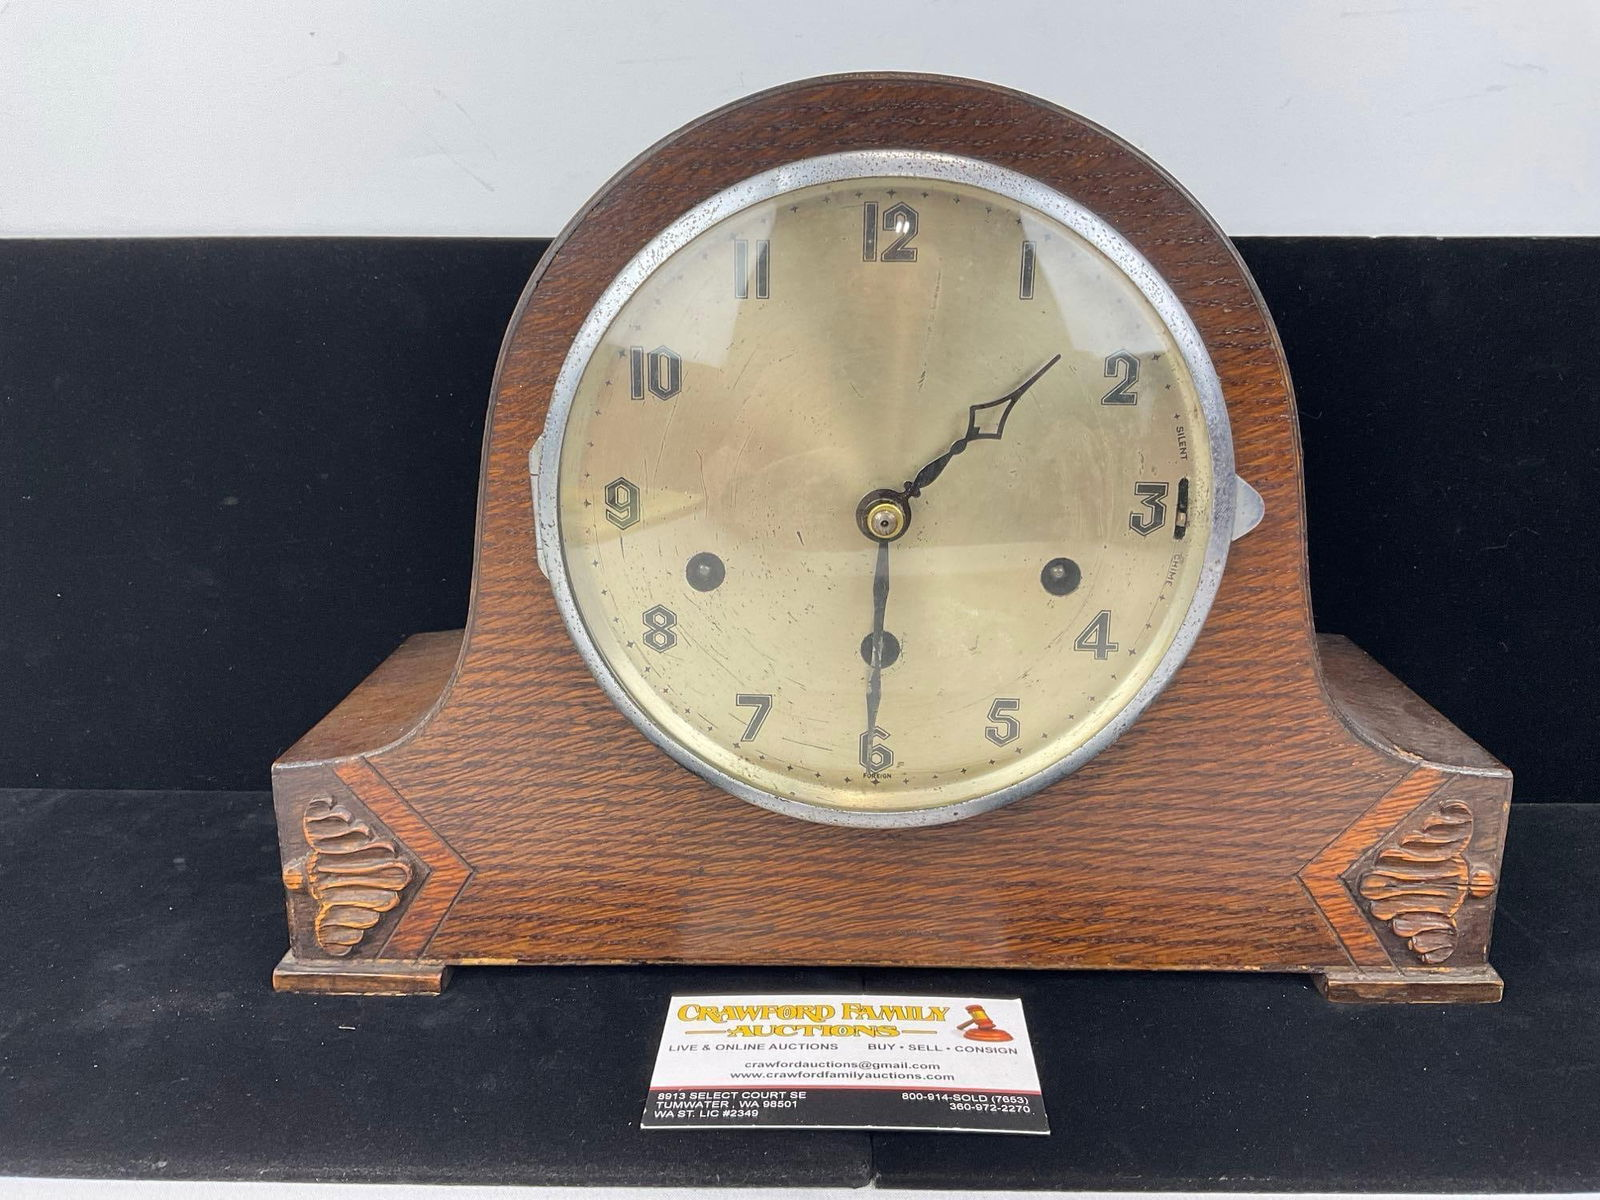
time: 1:30
